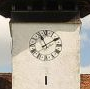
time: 11:09
